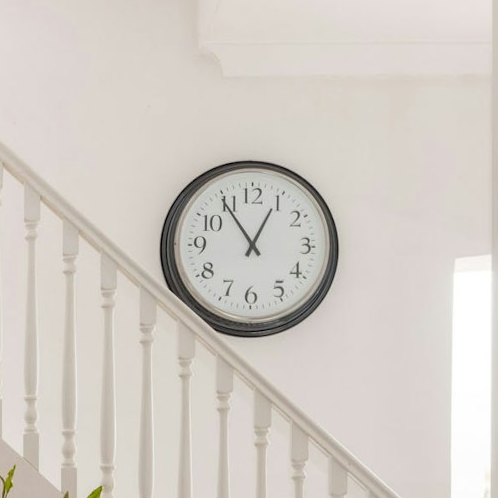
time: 12:54
